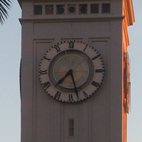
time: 7:27
